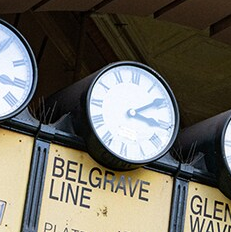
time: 3:09
